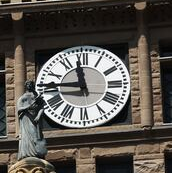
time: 11:45
